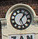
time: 5:06
